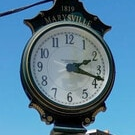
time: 2:18
